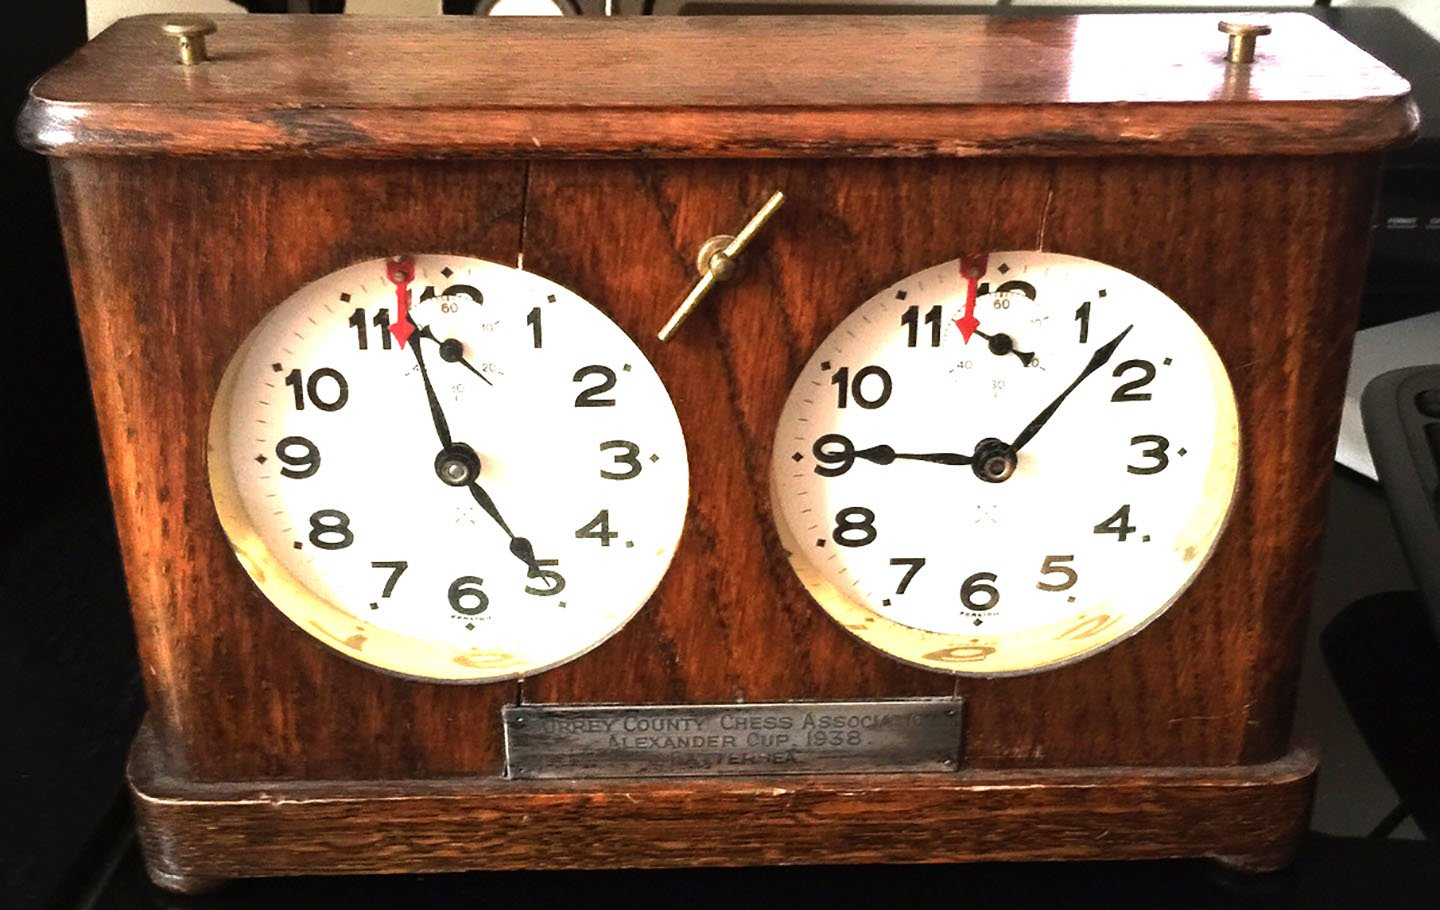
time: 9:07
